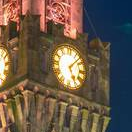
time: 5:07
